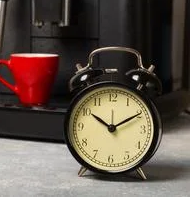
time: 10:10
